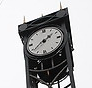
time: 1:38
